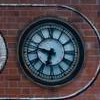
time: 6:47
